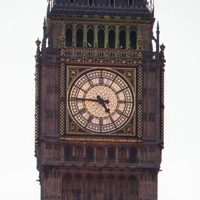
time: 4:45
